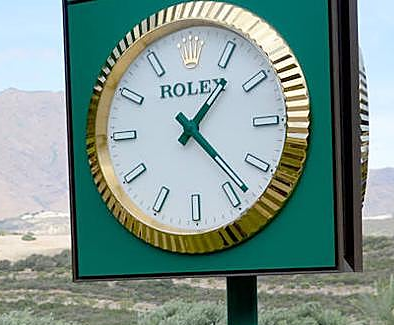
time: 1:22
